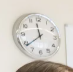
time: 11:38
